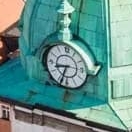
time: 8:33
